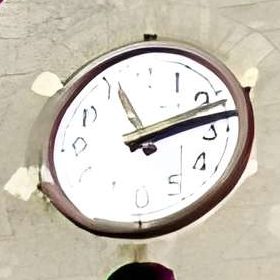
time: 2:12
